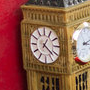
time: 4:04
